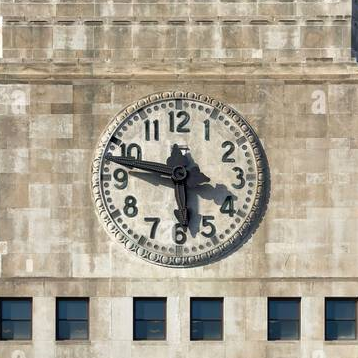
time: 5:47
